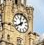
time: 11:38
